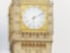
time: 6:10
